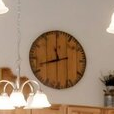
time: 11:42
